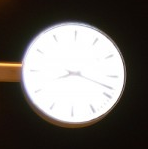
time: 8:18
